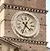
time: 4:33
